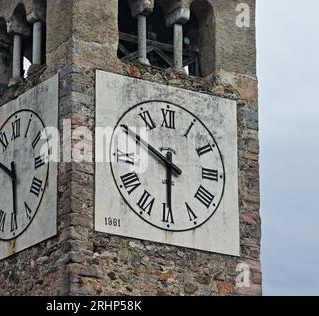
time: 5:50
